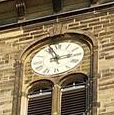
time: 2:57
